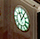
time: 11:05
